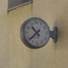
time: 10:38
